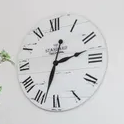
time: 2:33
